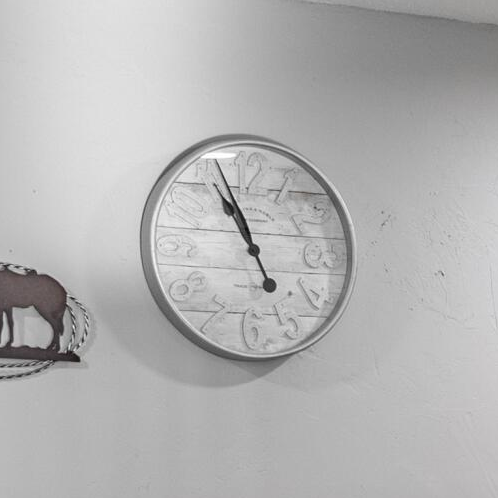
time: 10:56
